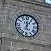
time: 12:05
